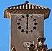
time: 6:00
